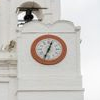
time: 12:33
